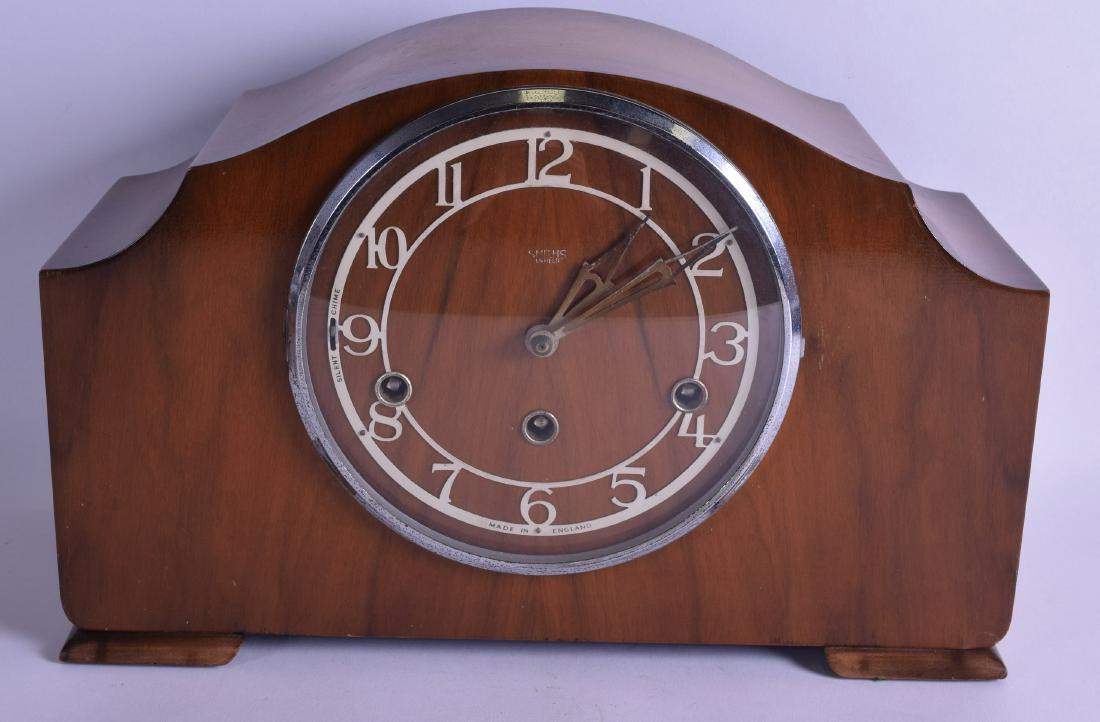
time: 1:08
